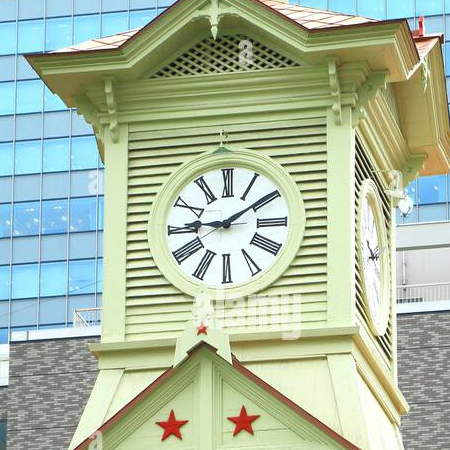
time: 9:09
